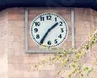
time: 1:35
